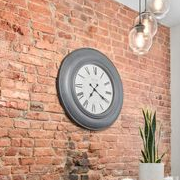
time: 7:19
